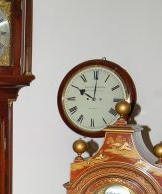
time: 10:00
